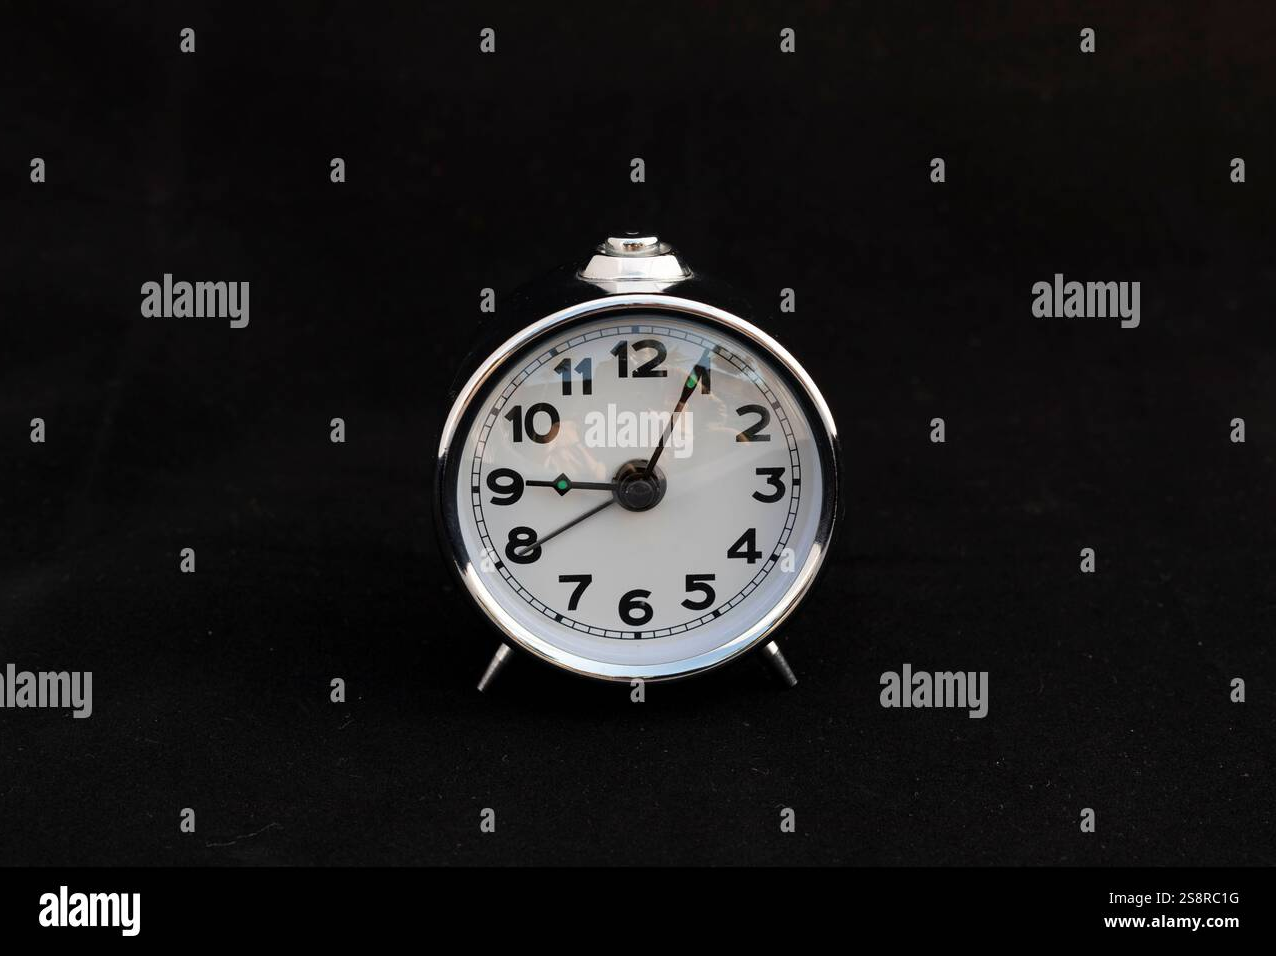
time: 9:04
